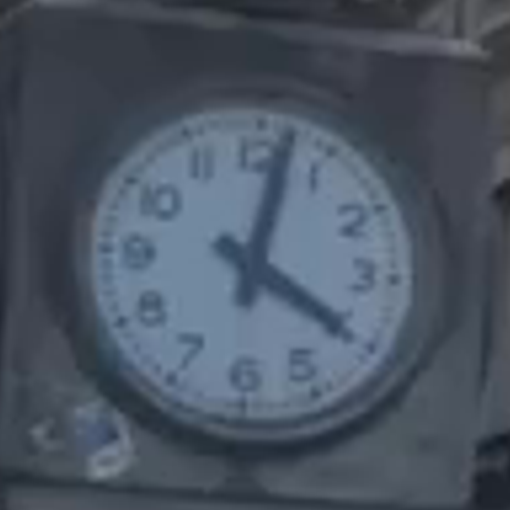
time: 4:02
